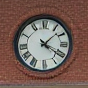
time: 1:21
